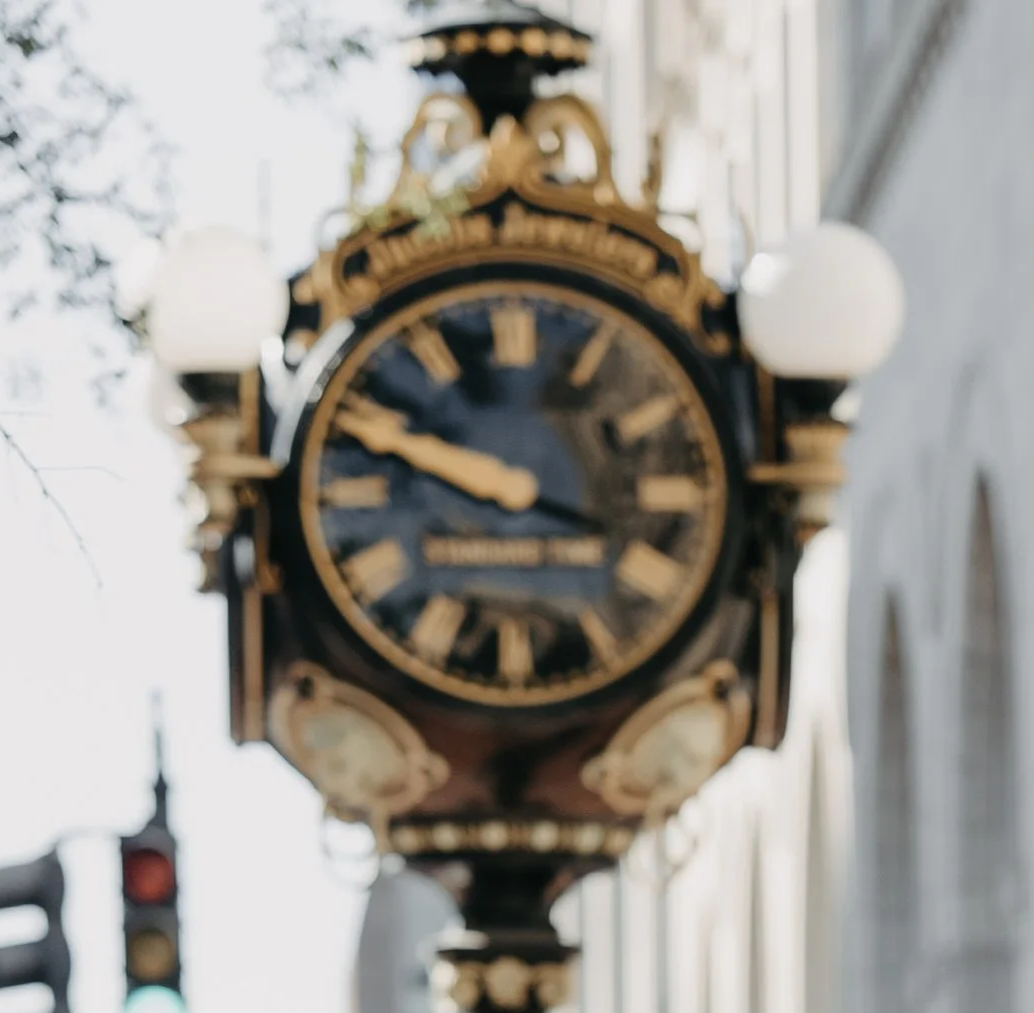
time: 3:48
